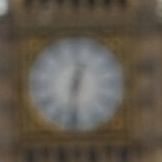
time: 12:32
